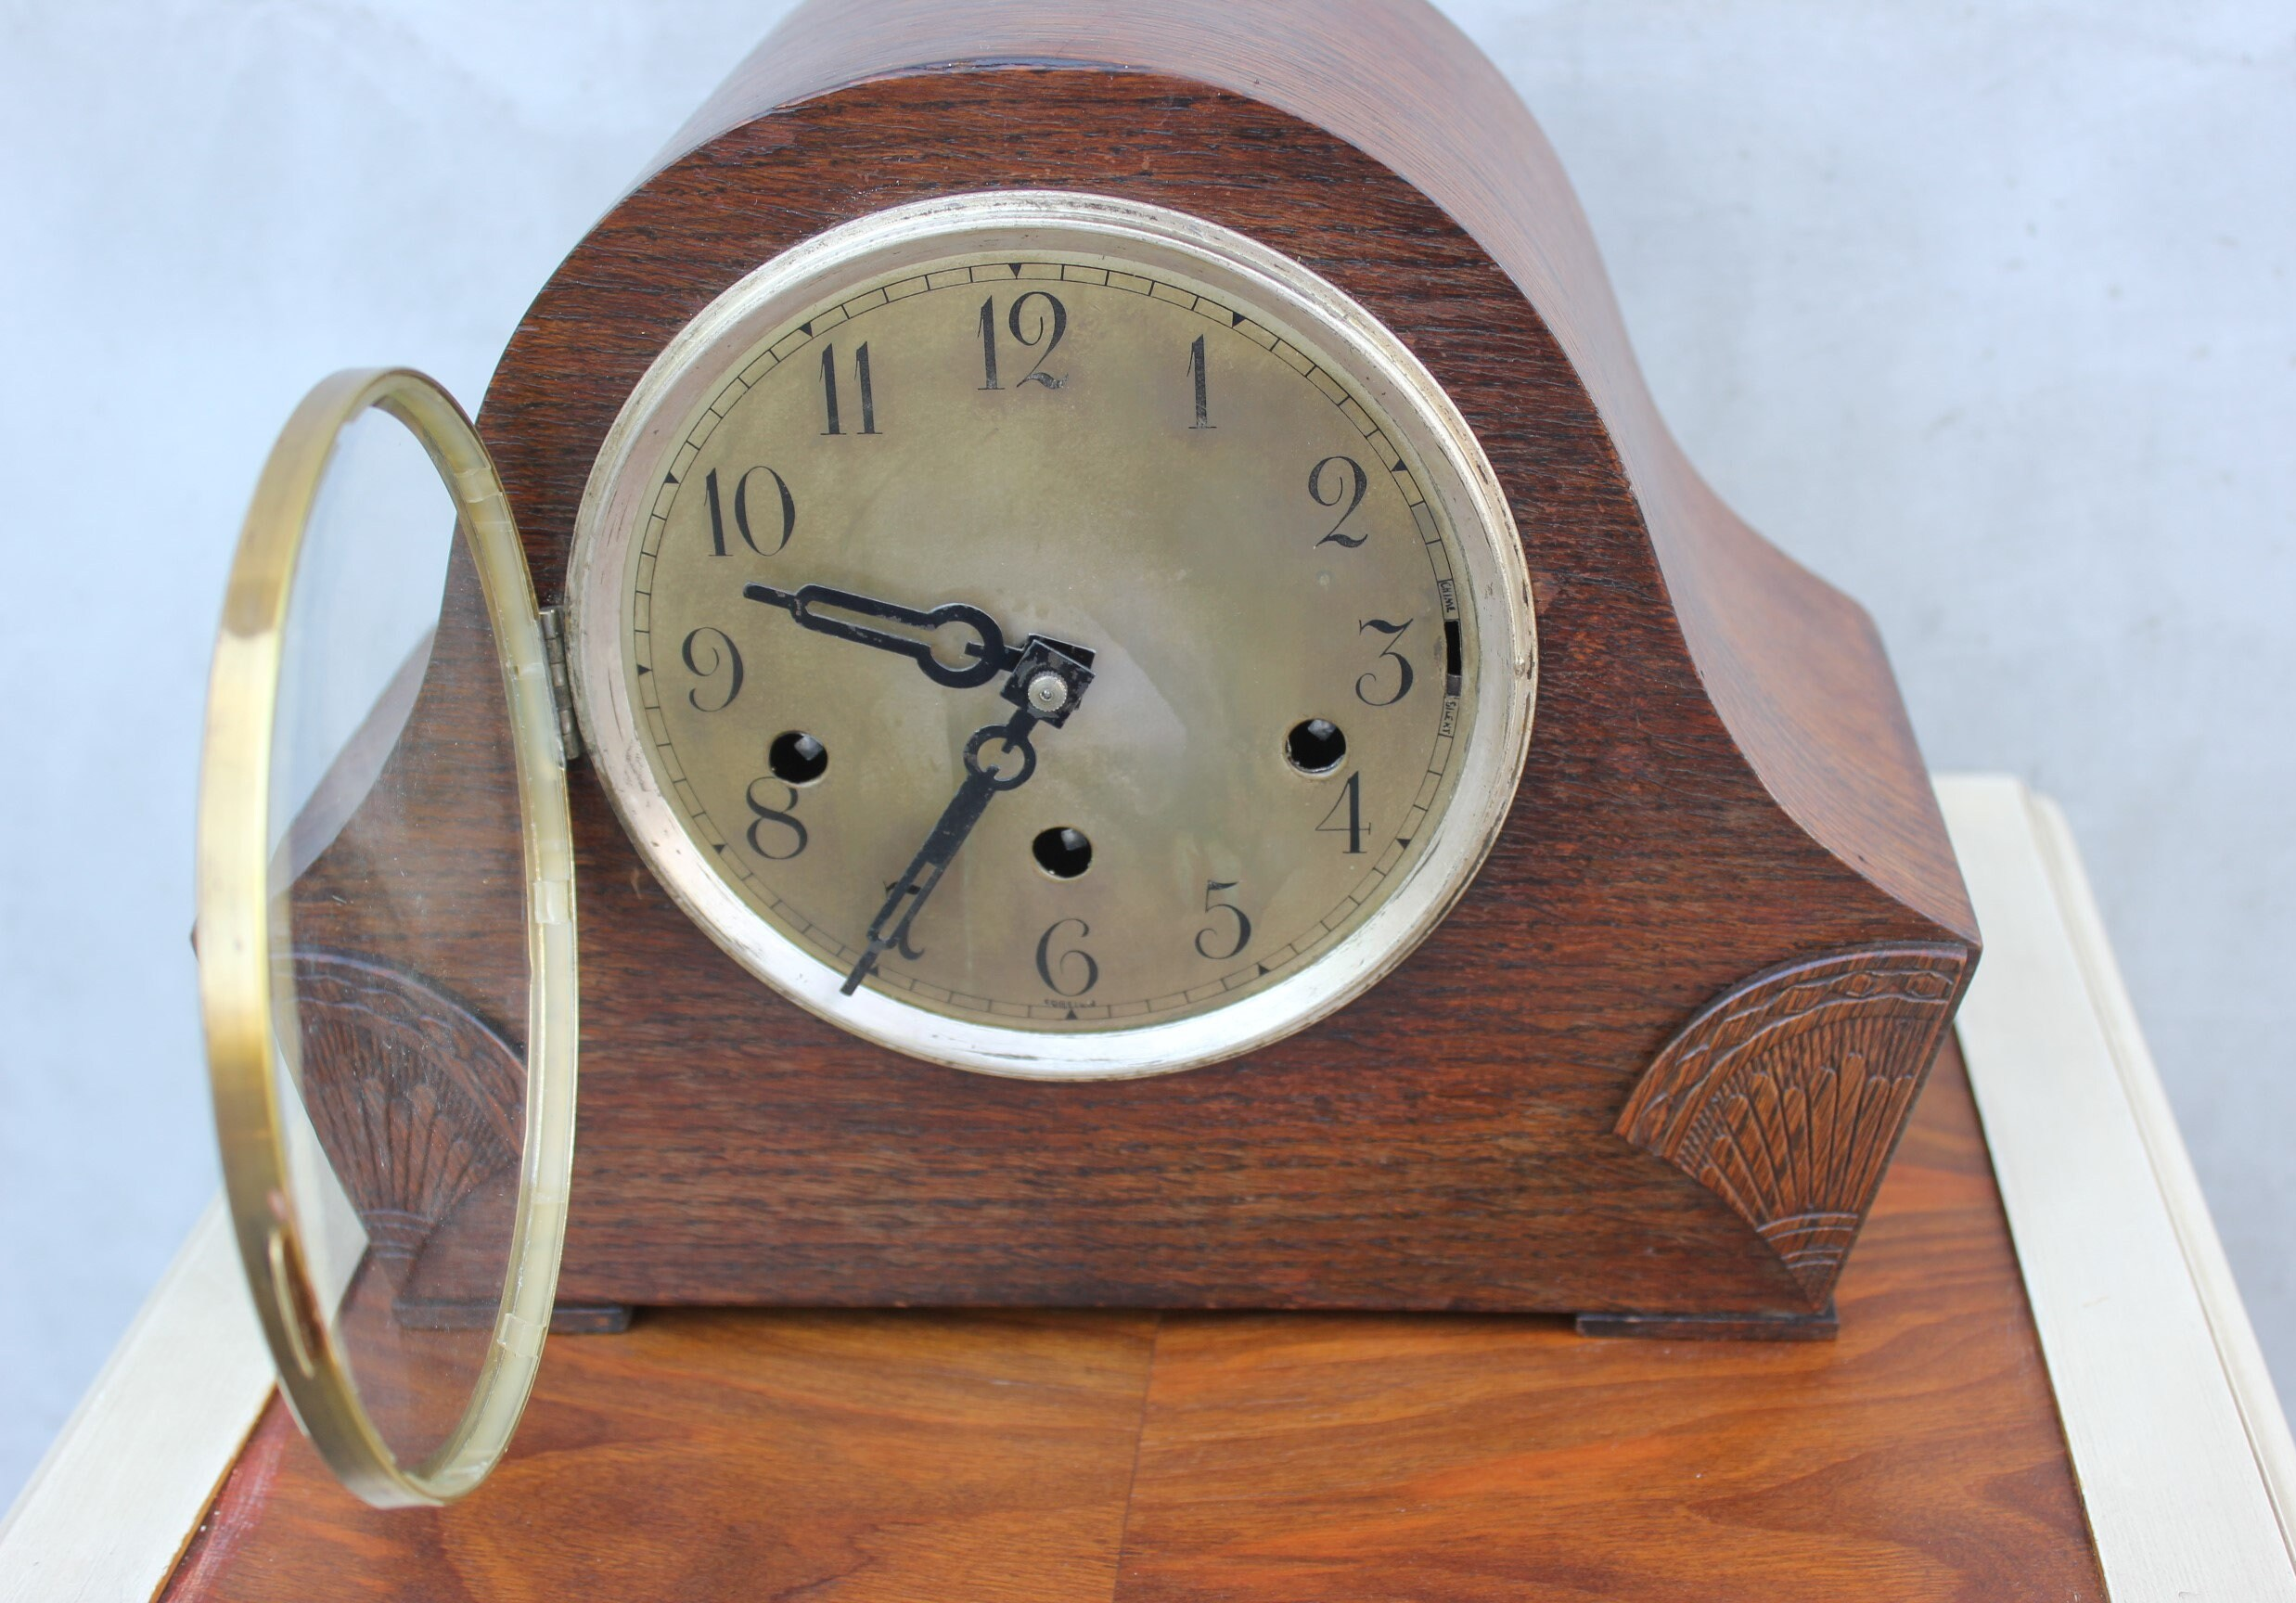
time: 9:35
